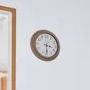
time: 3:30
